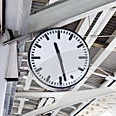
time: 11:28
